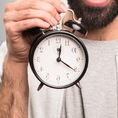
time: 12:20
